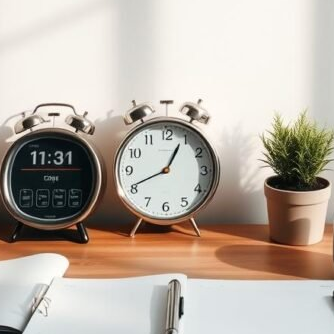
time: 12:41
